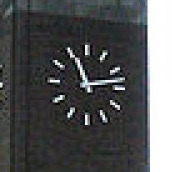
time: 11:13
